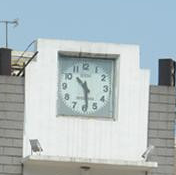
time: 10:28
